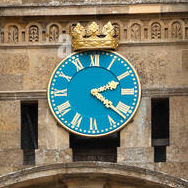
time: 2:21
